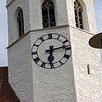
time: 6:13
